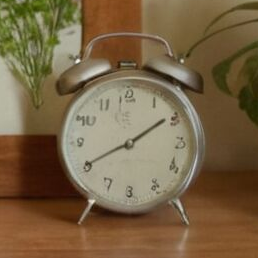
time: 8:09
